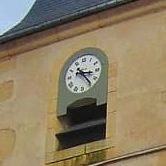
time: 3:23
